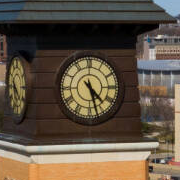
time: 4:27
